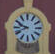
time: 9:42
